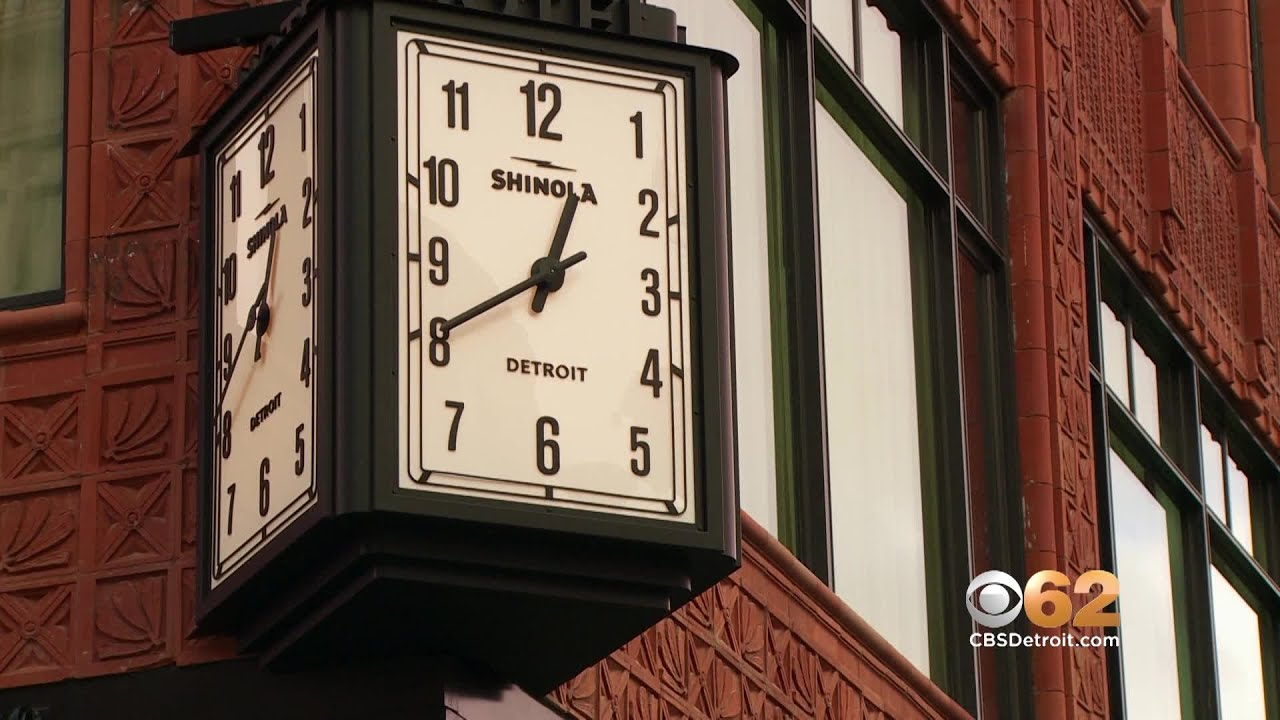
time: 12:40
